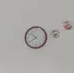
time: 10:39
